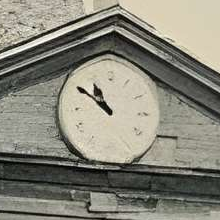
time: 10:50
